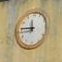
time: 11:45
